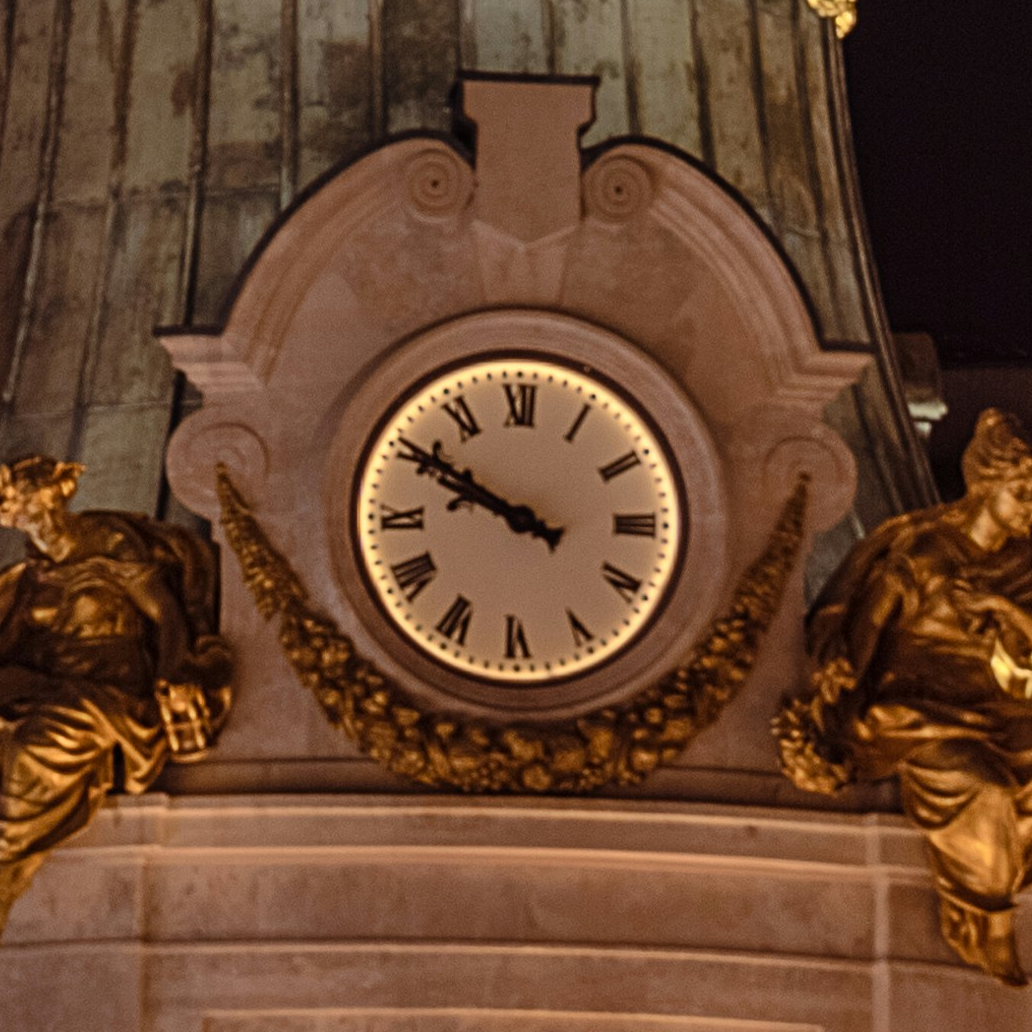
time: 9:50
